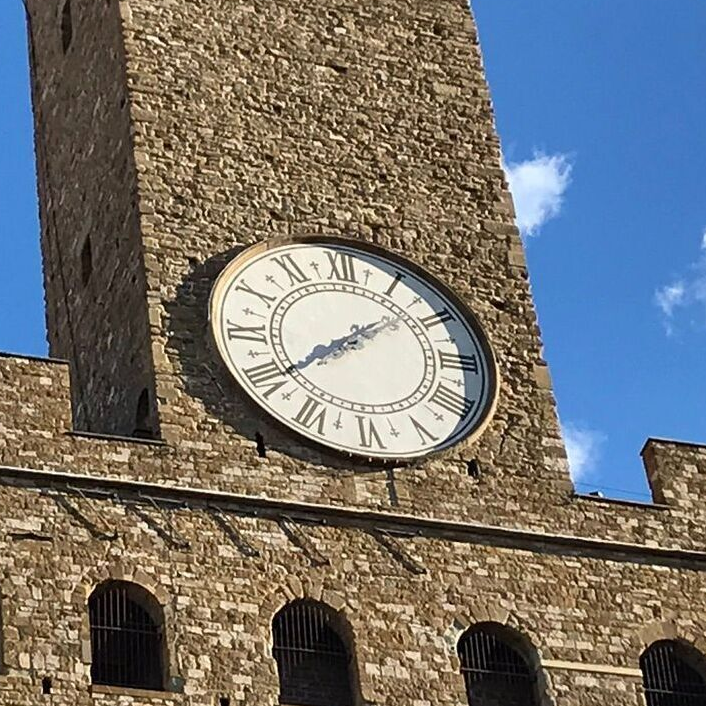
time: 1:39
